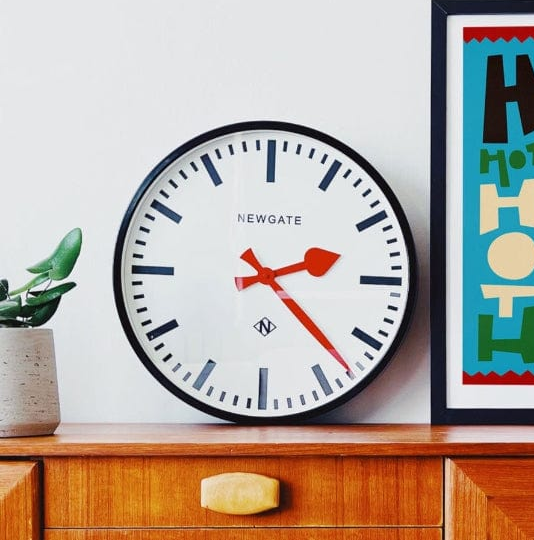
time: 2:22
